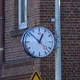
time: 12:52
